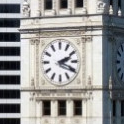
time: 2:18
